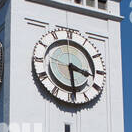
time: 3:28
